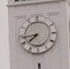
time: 7:43
